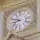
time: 8:47
